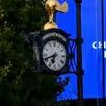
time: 6:41
